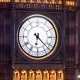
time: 6:22
